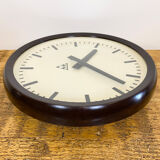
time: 1:22
